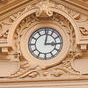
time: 3:01
